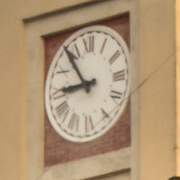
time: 8:53
